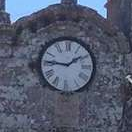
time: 1:46
